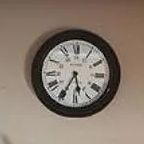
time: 5:34
